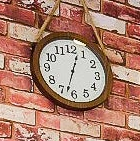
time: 12:32
